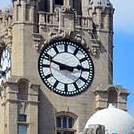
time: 2:48
